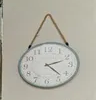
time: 2:22
